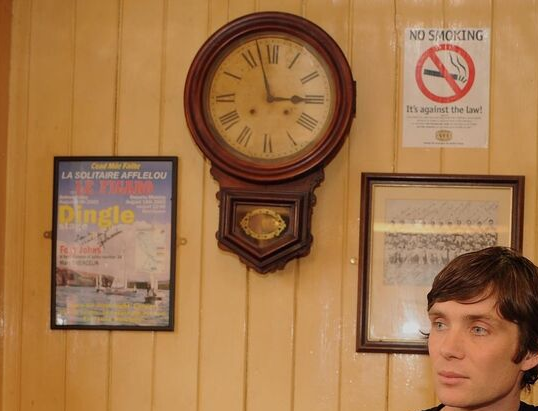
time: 2:57
